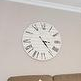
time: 3:23
